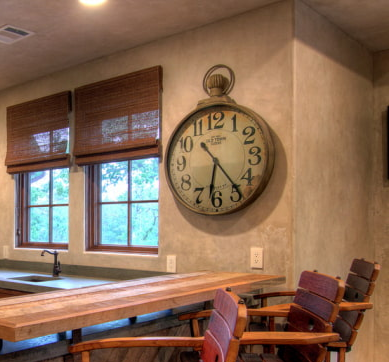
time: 6:23
